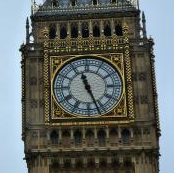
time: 11:26
